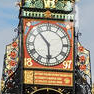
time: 5:53
